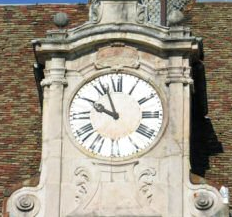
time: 9:56
